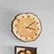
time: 3:08
